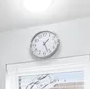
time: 1:26
